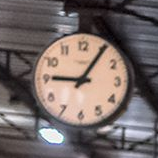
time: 9:05
